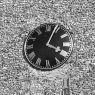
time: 4:04
